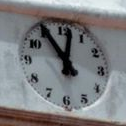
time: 11:01
